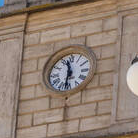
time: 11:31
